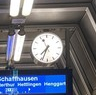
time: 7:33
